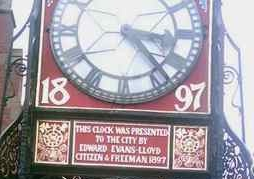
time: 3:23
